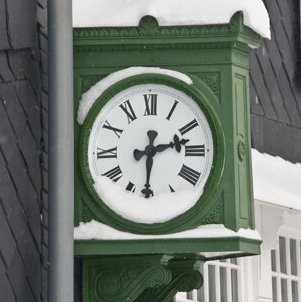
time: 2:30
